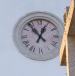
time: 12:53
